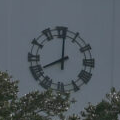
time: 8:00
